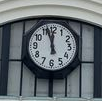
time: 11:56
